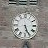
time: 5:26
